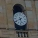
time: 5:40
